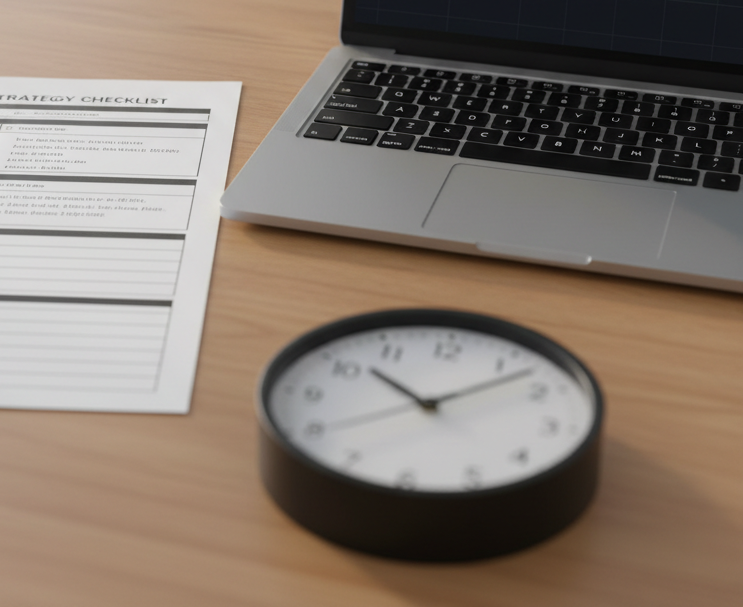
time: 10:07
